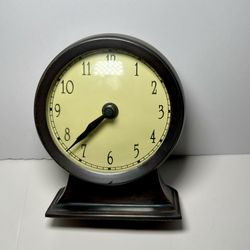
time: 7:37
